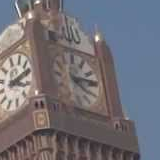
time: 4:14
